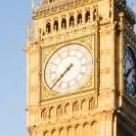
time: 7:37
